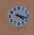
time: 4:17
